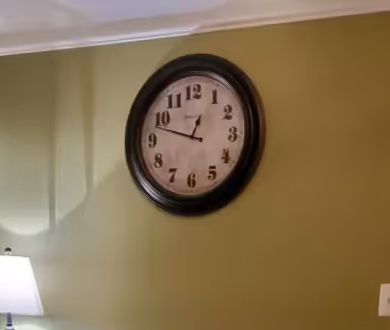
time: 12:47
